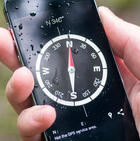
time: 6:00
